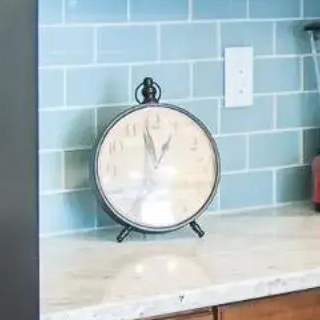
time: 12:58
